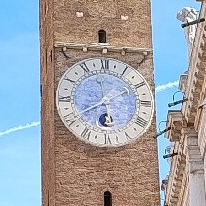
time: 5:40
